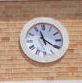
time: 11:20
